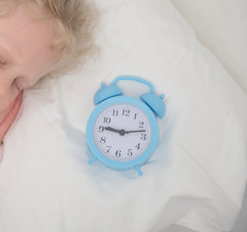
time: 9:12
